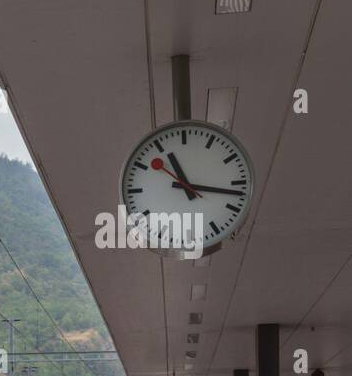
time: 11:17
